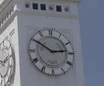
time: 2:50
